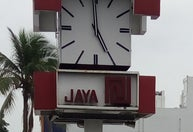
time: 4:59
